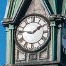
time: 1:46
